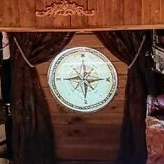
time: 6:14
